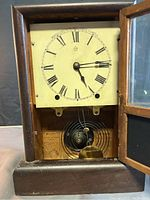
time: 5:14
